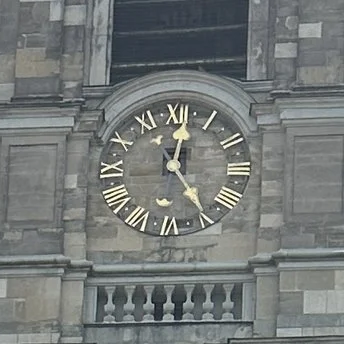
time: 12:24
